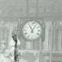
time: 11:04
